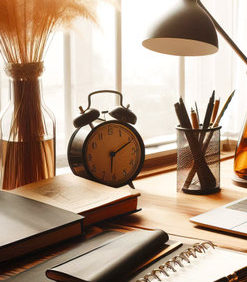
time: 6:10
